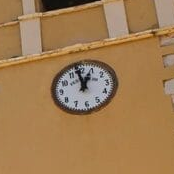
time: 12:58
